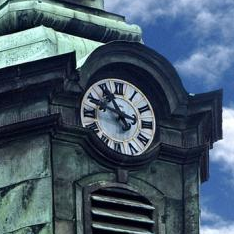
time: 10:47
